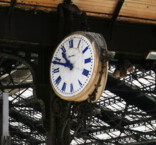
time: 10:48
